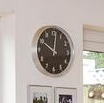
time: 10:01
